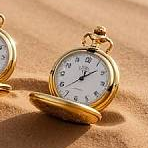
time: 12:07
